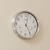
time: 12:24
